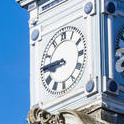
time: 8:45
